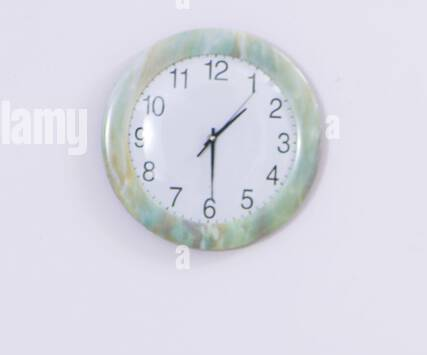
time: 1:29
